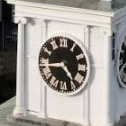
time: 4:42
